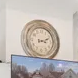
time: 3:11
